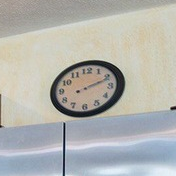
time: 2:11
